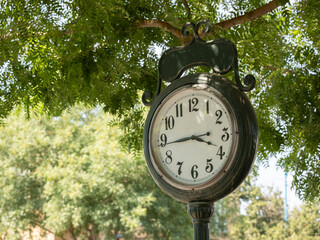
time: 3:43
